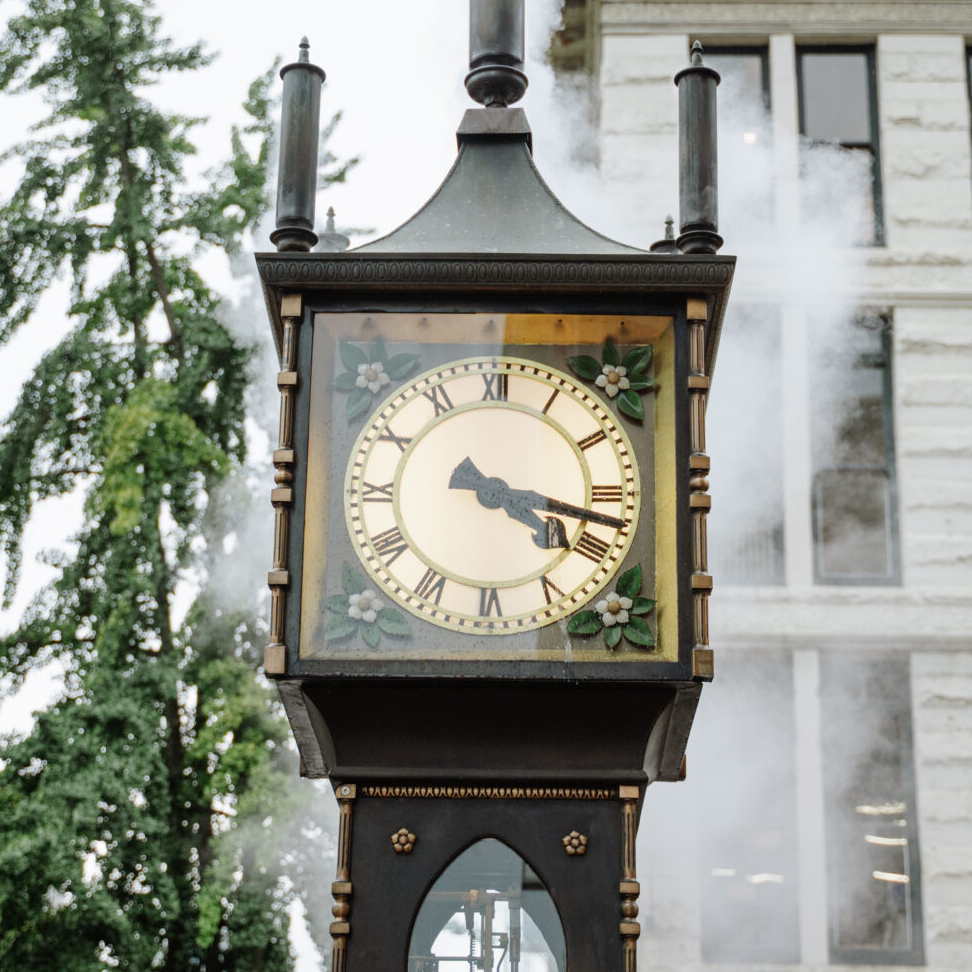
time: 4:17
